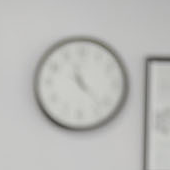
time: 11:22
